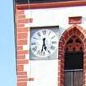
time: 5:31
